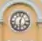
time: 6:03
